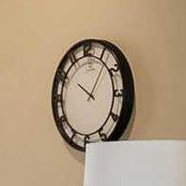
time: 10:06
